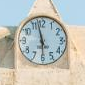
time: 5:57
